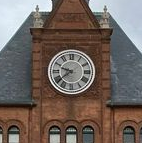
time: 9:38
